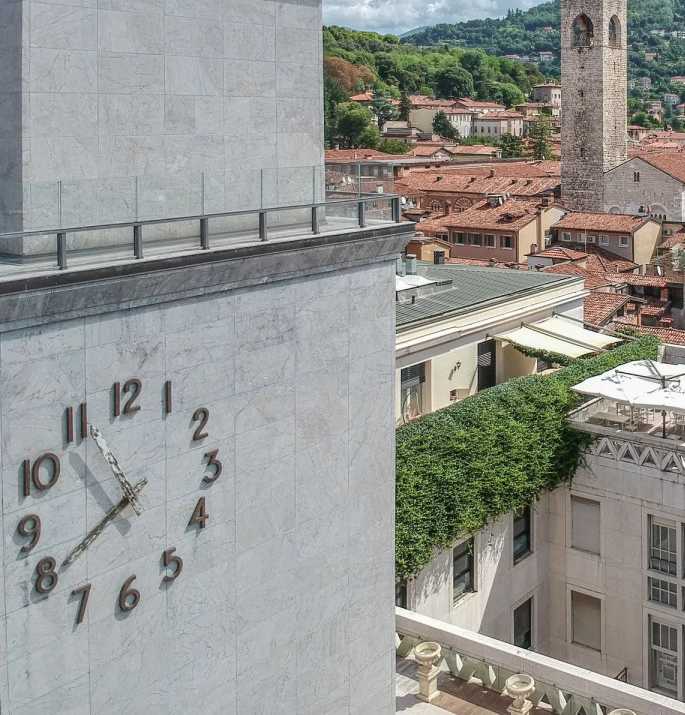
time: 10:40
